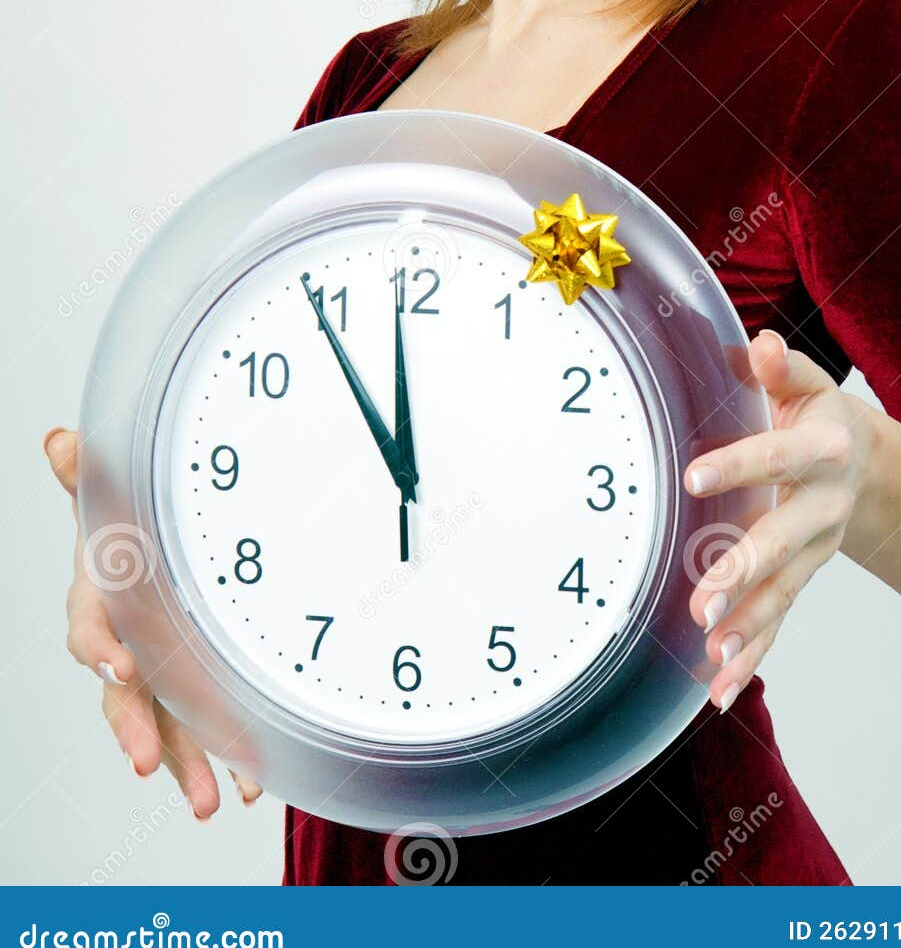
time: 11:54
